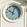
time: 10:02
